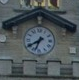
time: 6:39
